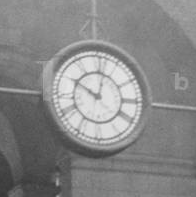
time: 10:01
